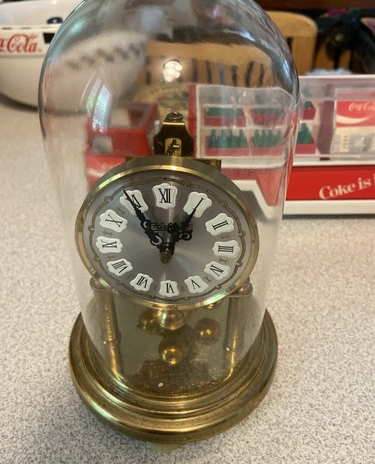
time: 12:55
